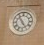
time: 4:54
